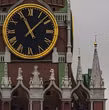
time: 11:07
